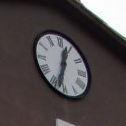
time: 12:32
